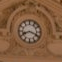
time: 8:18
